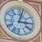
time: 3:02
